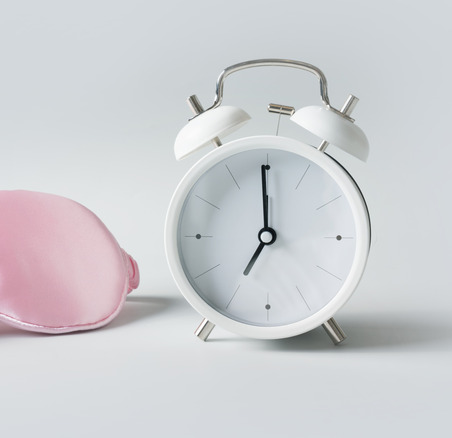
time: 6:59
